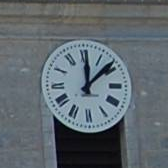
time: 12:08
